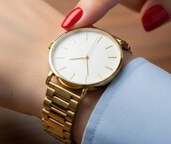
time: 9:04
